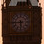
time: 5:44
